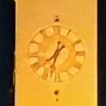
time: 7:33
